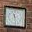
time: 11:28
